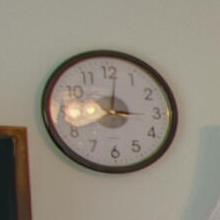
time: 3:01
